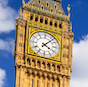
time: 4:07
